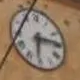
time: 6:14
